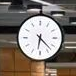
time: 6:22
